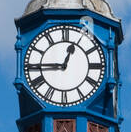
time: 12:45
